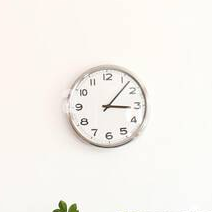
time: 3:07
